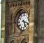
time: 5:18
